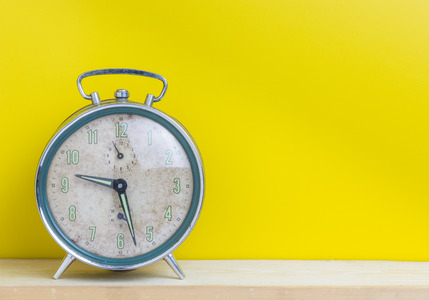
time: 9:27
